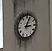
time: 3:04
